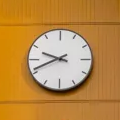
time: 9:41
